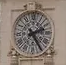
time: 2:24
